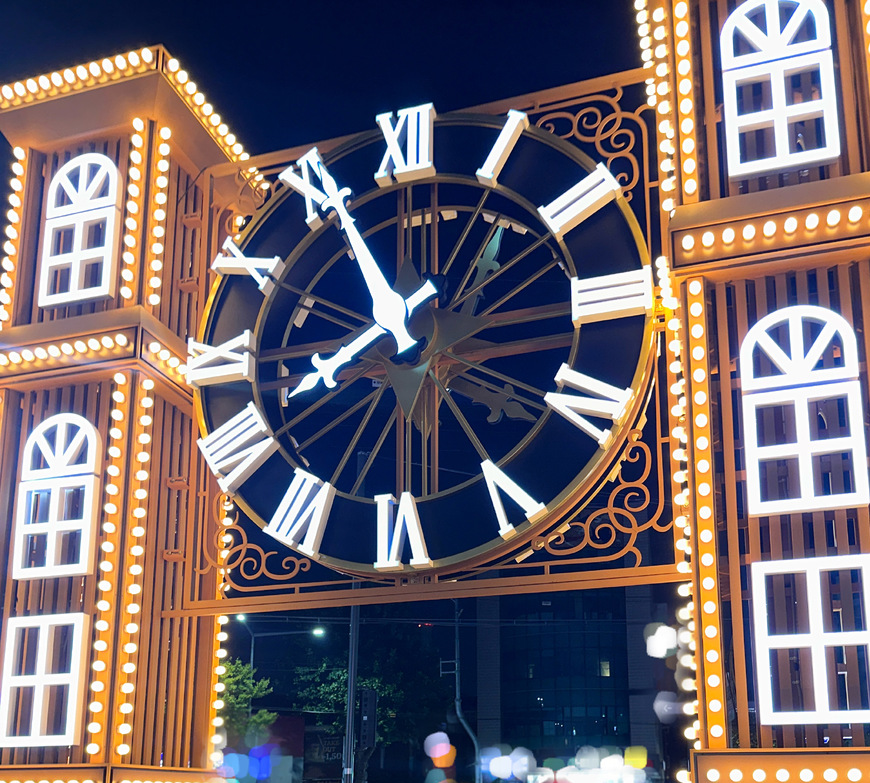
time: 7:55
